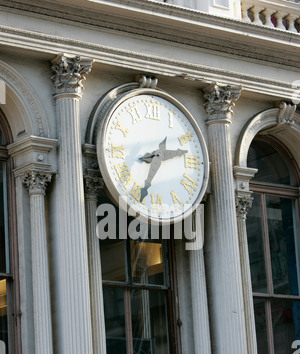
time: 2:34
